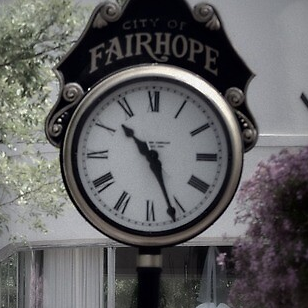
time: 10:26
